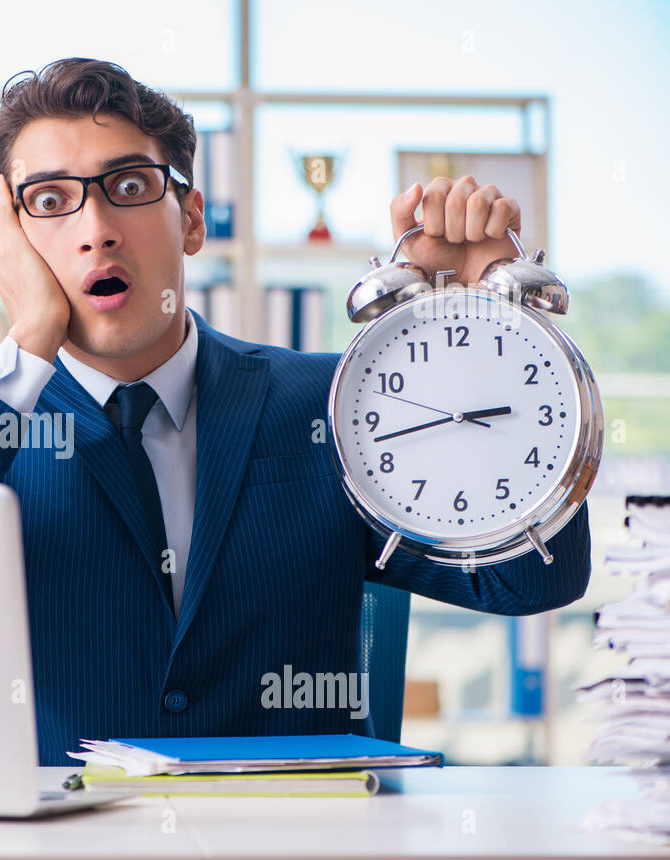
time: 2:42
